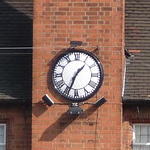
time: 1:33
